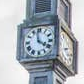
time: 3:58
